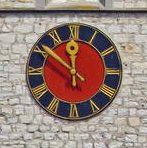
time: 11:51
